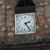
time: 2:23
